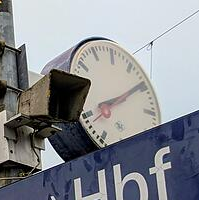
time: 8:09
